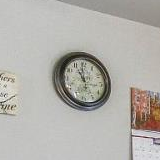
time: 10:59
